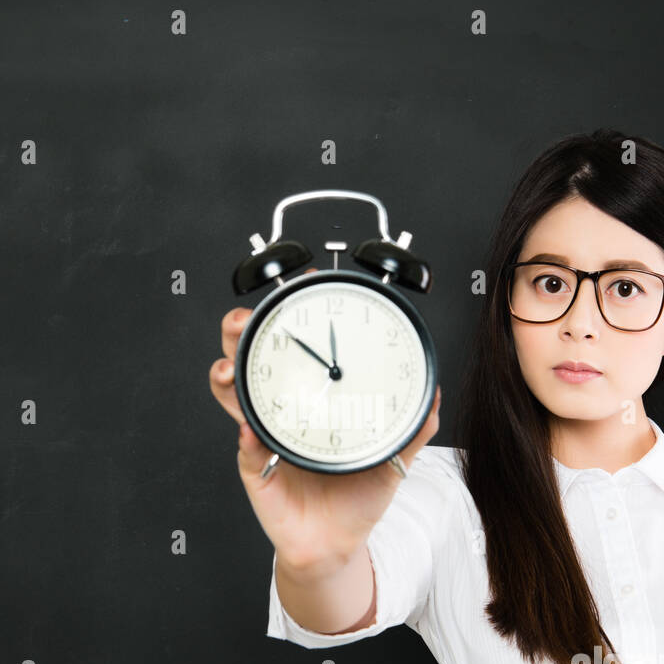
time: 11:51
